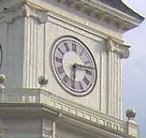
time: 6:13
